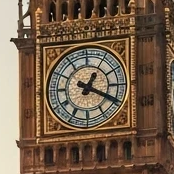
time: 1:19
